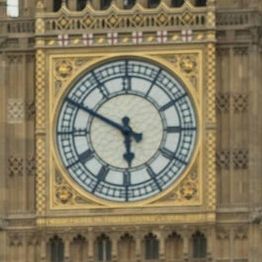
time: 5:49
